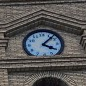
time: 4:07
